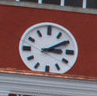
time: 3:09
